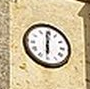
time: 5:59
